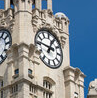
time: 12:46
